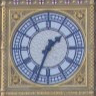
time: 1:33
